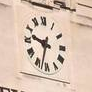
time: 9:32
